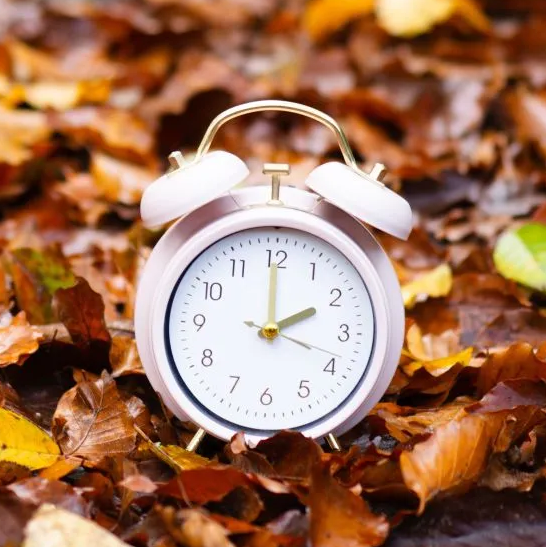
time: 2:00
